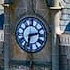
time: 2:32
